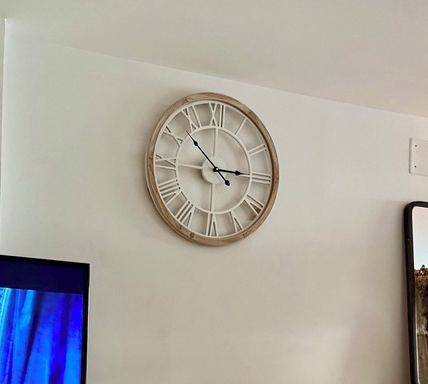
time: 2:52
